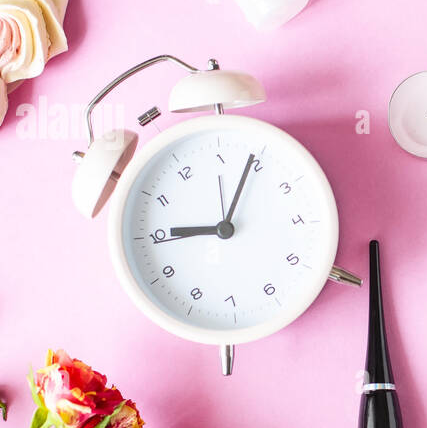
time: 9:04
